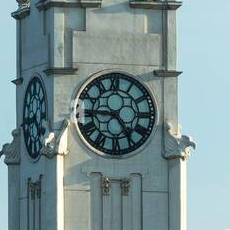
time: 4:45
